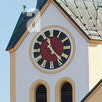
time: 11:22
